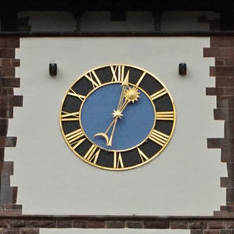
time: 1:02
